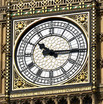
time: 10:15
